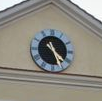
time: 4:26
